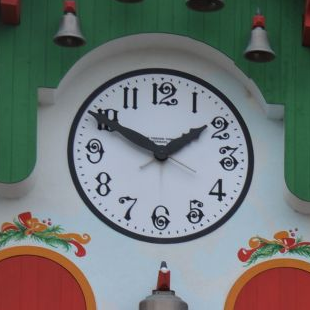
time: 1:49
